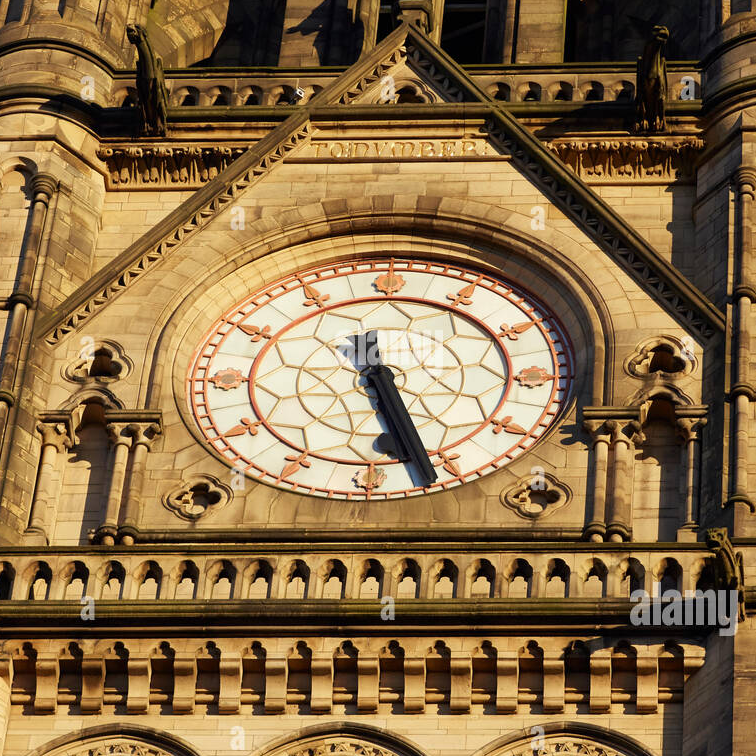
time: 5:26
